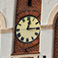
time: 12:14
